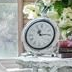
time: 11:14
